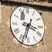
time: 3:33
